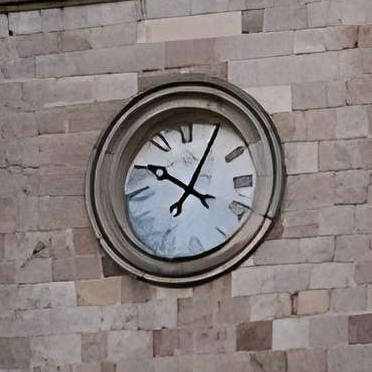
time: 10:05
